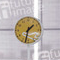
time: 1:32
